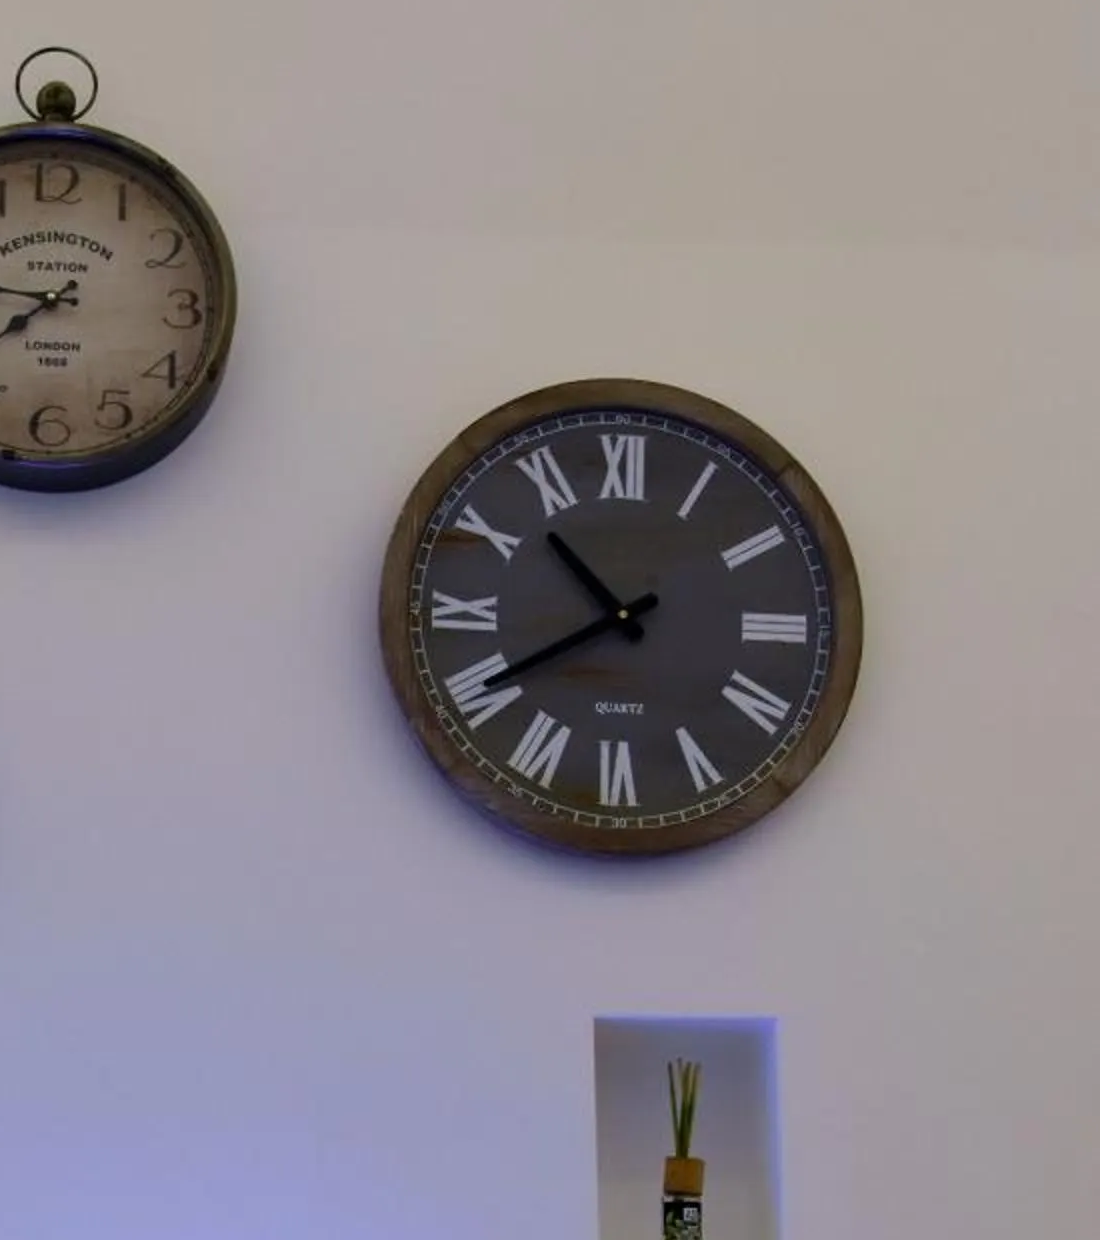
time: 10:39
